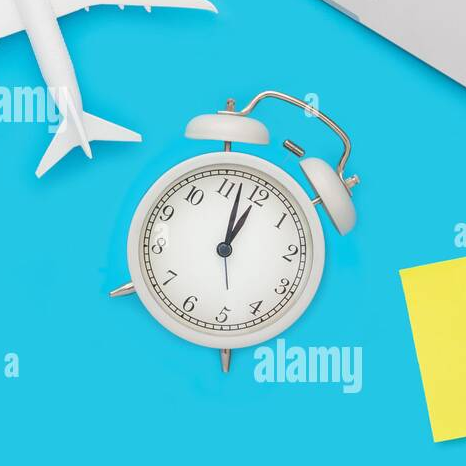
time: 1:02
